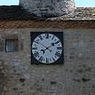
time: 1:50
